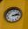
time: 2:13
